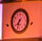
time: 7:33
